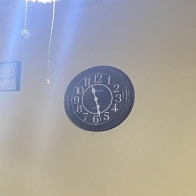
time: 11:28
